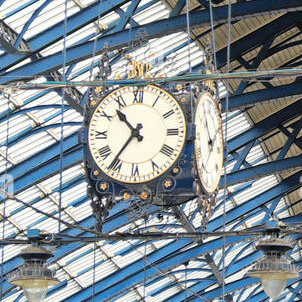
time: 10:36
